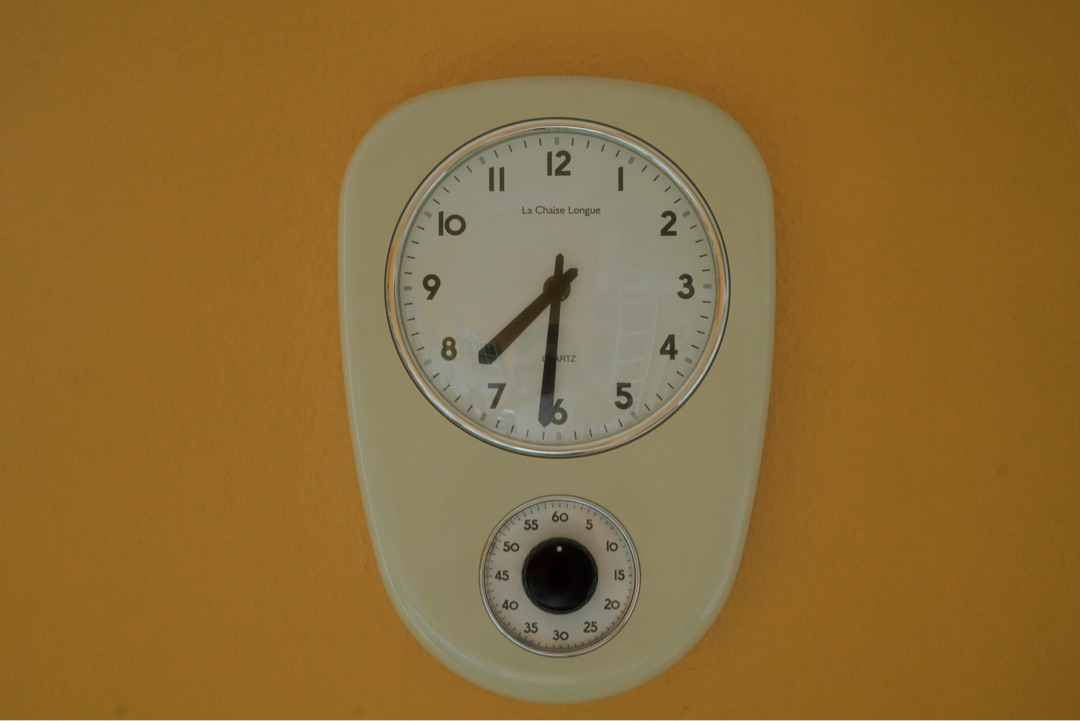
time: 7:31
